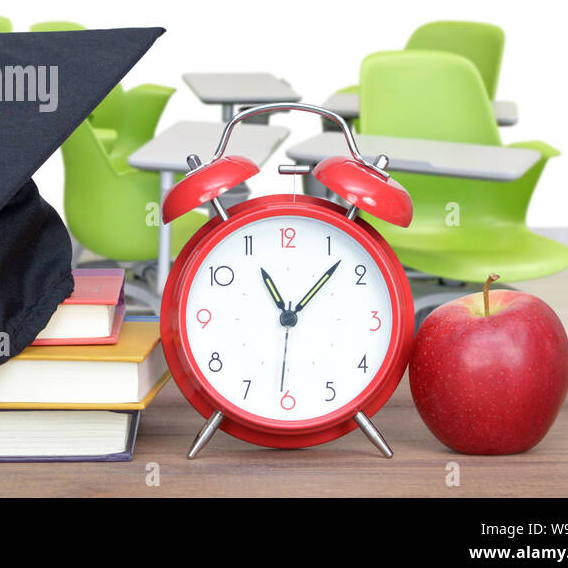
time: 11:07
